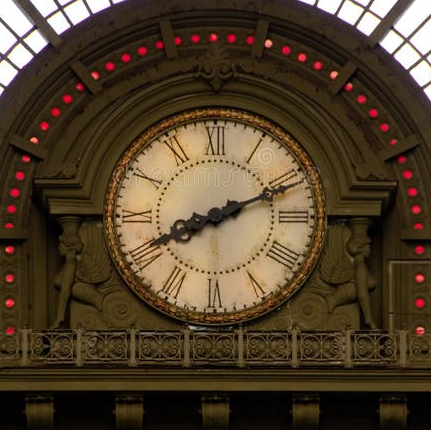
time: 8:11
